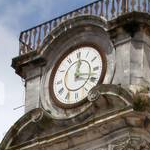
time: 12:17
